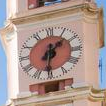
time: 1:31
